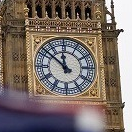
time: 11:51
